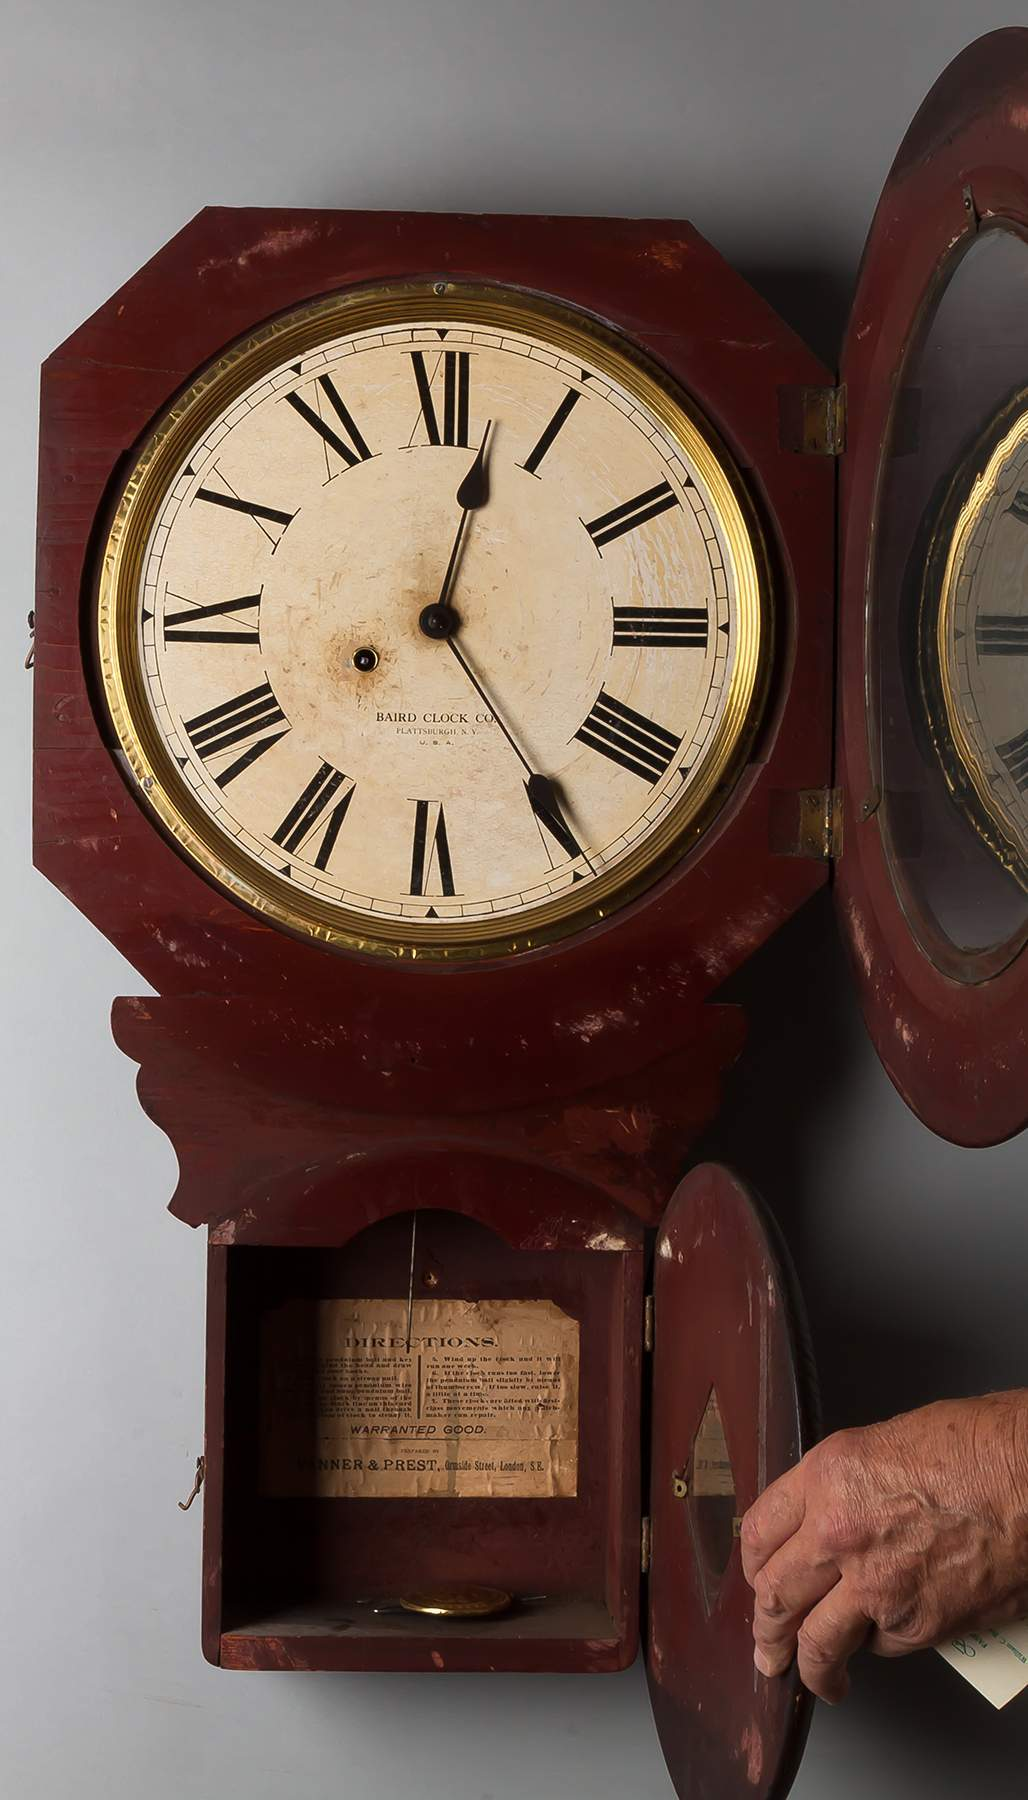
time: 12:23
